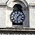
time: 1:32
